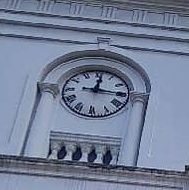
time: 12:15
